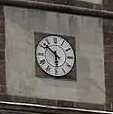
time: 5:51
